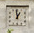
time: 12:58
